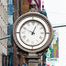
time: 12:49
